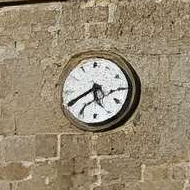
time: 5:40
